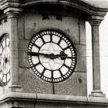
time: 2:45
